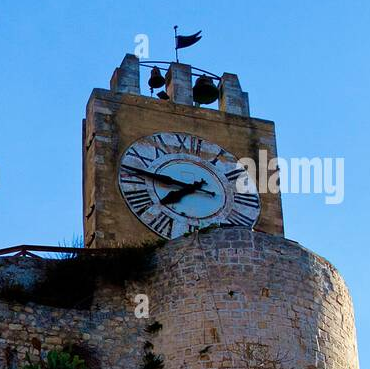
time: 7:46
